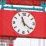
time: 11:21
